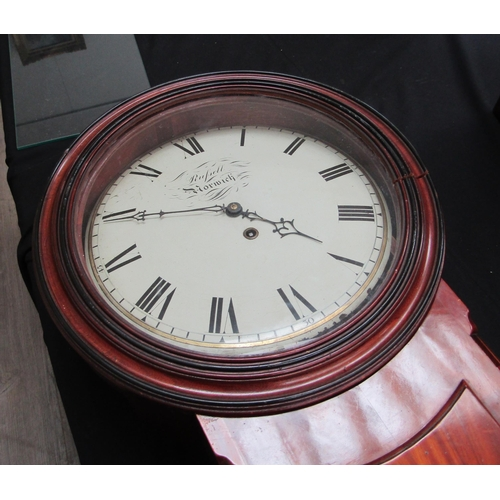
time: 3:44
